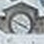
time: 3:48
